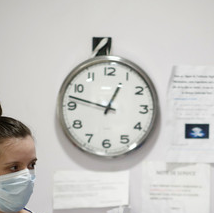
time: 12:47
